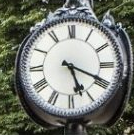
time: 5:19
